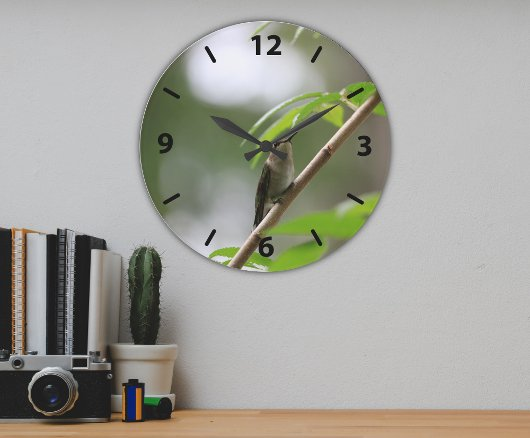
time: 10:09
